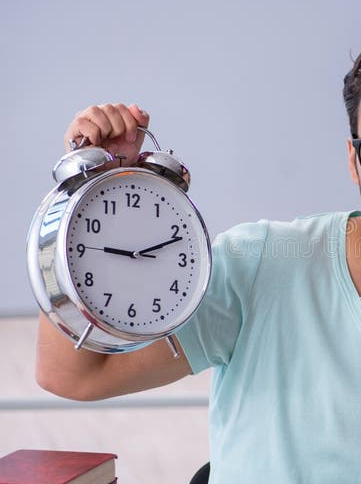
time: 9:11
